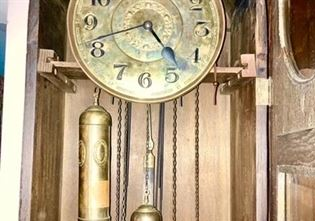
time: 4:42
